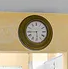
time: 5:44
